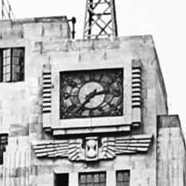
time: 2:36
